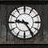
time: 9:24
